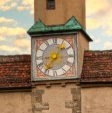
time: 8:36
